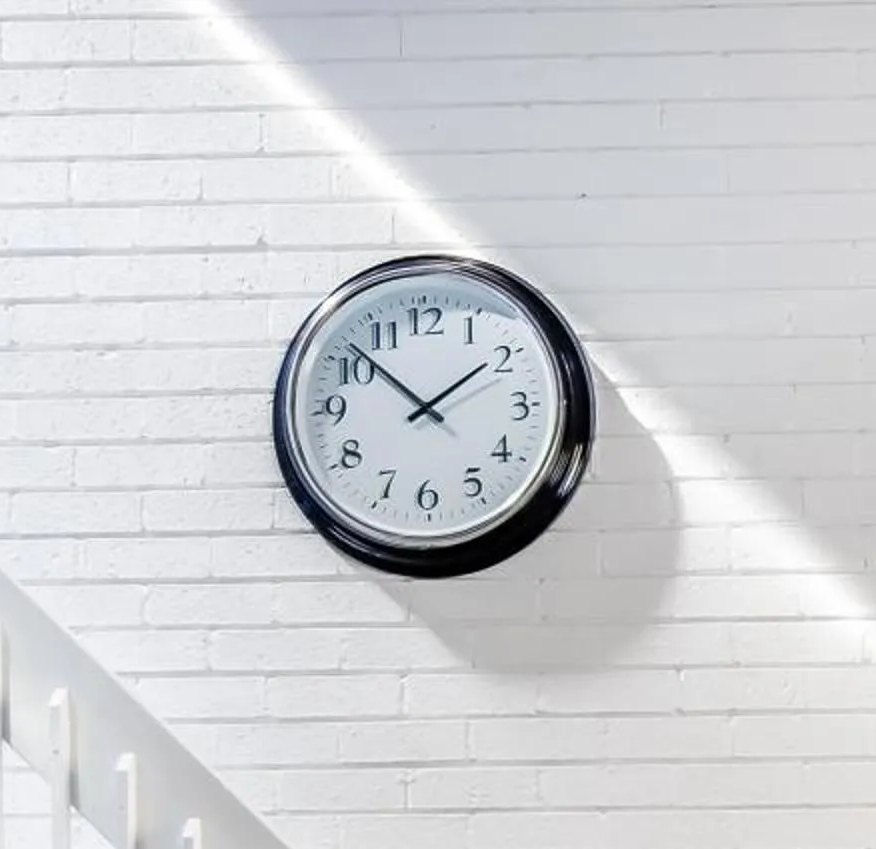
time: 1:52
